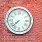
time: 7:37
